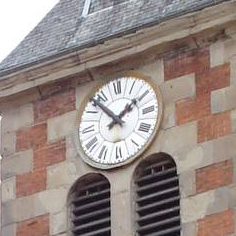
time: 1:52
